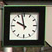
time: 9:57
